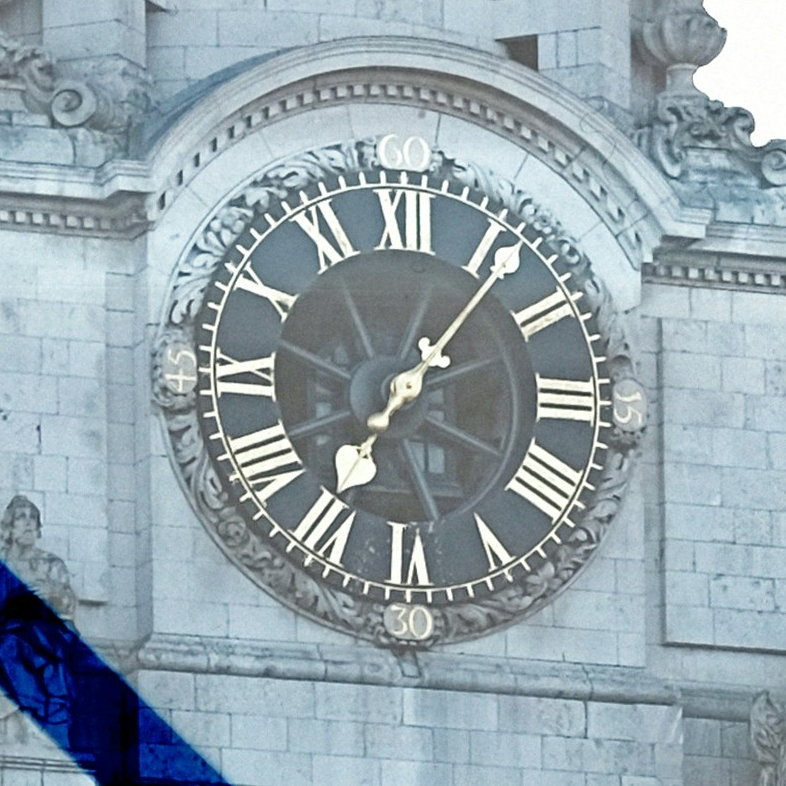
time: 7:06
